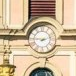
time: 9:12
